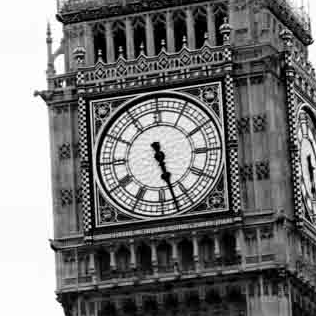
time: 5:27
